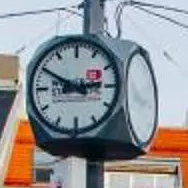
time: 2:49
